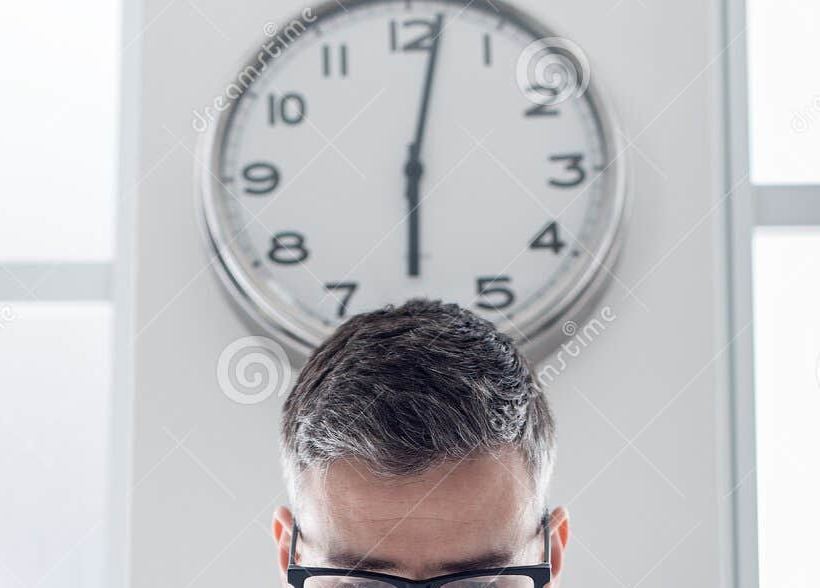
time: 6:01
